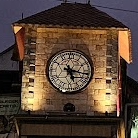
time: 5:16
